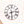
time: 2:29
